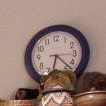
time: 6:22
